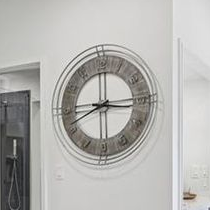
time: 8:16
